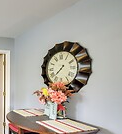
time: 7:37
